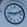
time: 9:11
